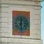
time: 12:28
